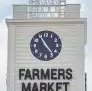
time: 4:54
